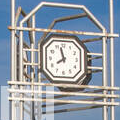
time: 7:57
